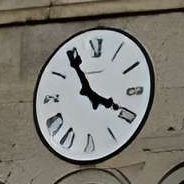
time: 3:54
